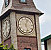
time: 5:03
